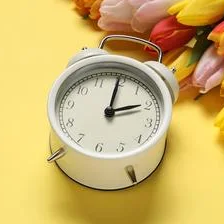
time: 2:00
